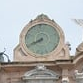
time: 7:39
